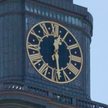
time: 12:28
